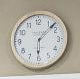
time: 6:07
